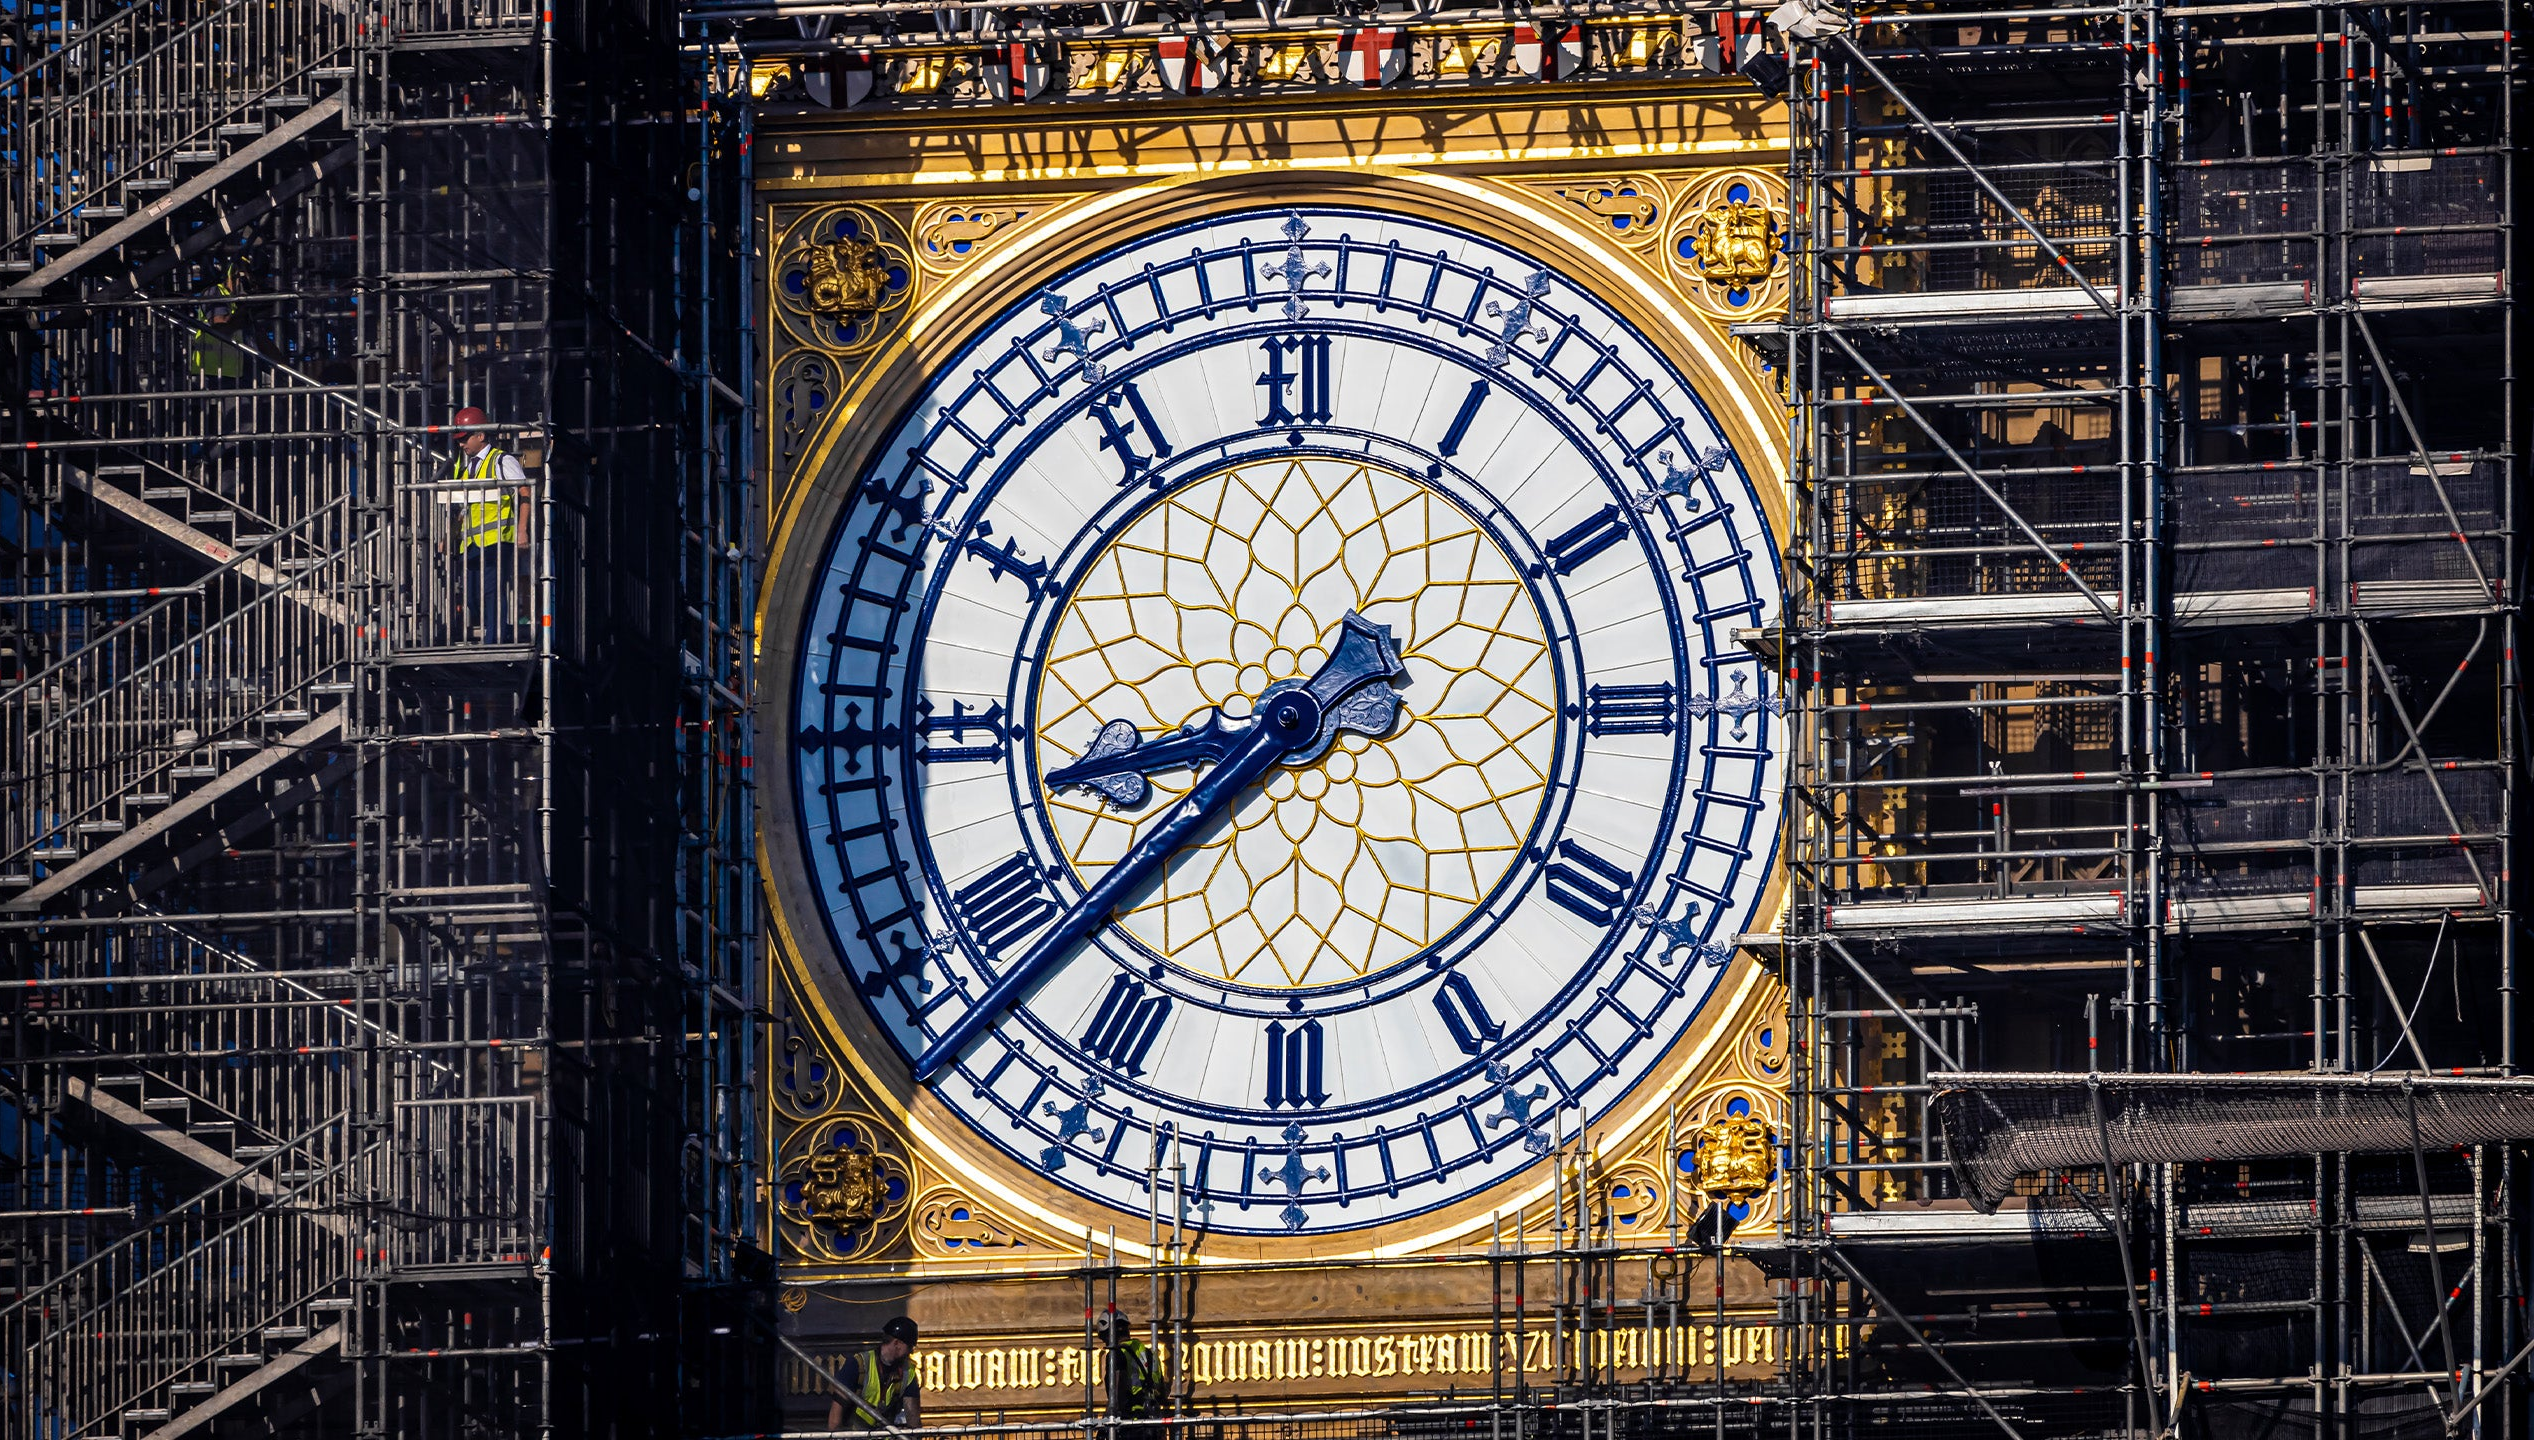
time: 8:37
